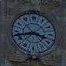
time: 3:42
